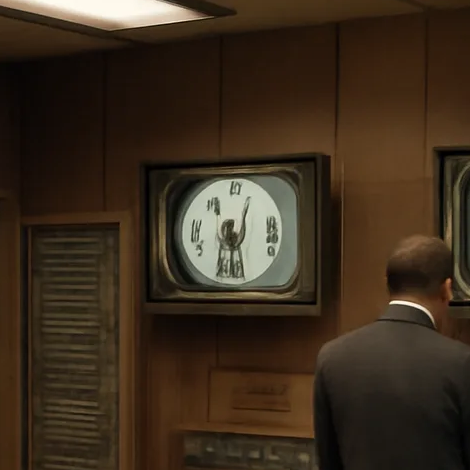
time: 5:32
